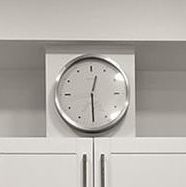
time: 12:29
